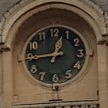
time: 12:44
